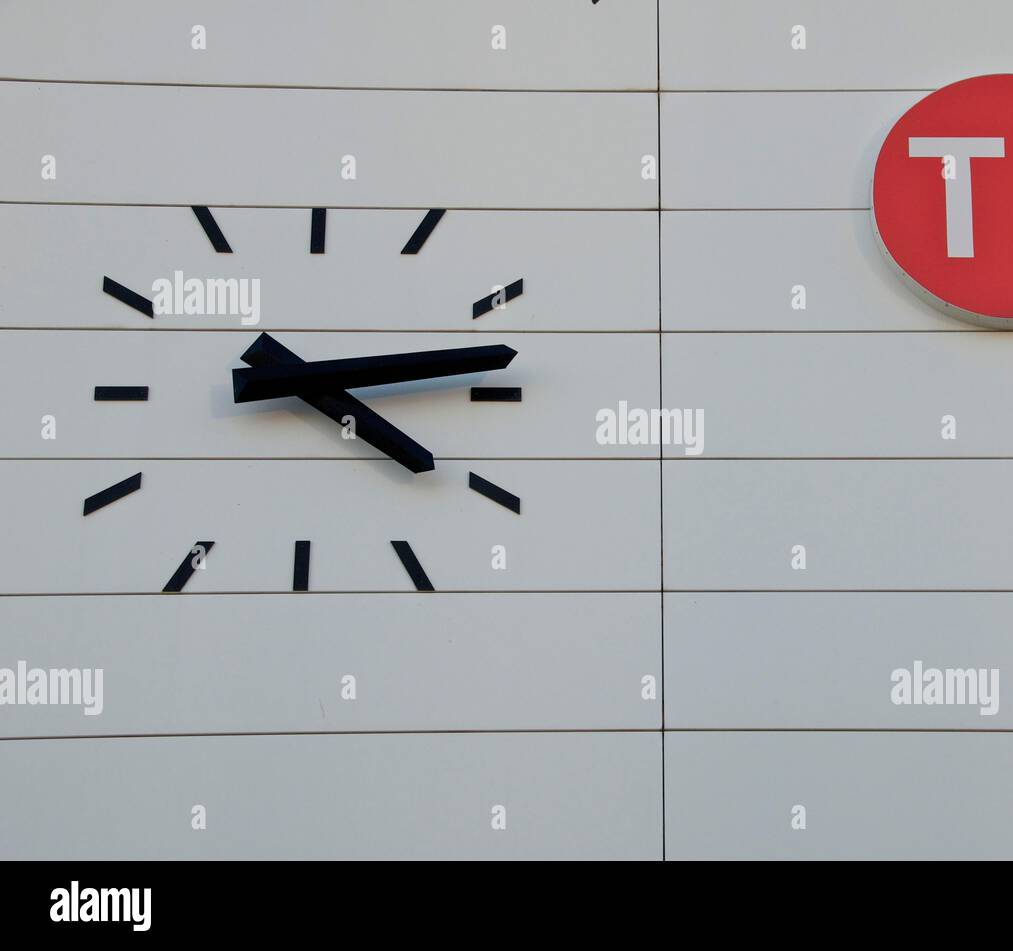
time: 4:13
